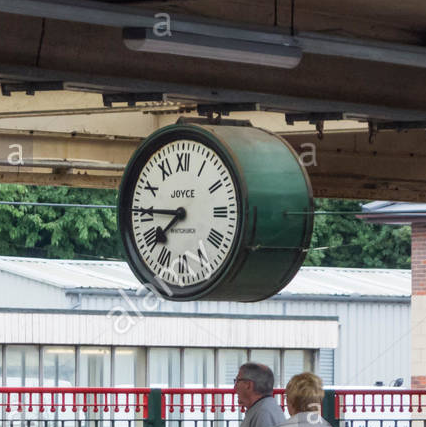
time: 7:45
